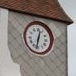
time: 12:32
